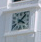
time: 4:07
